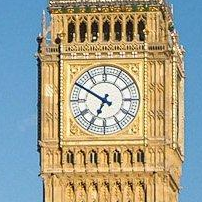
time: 6:50
